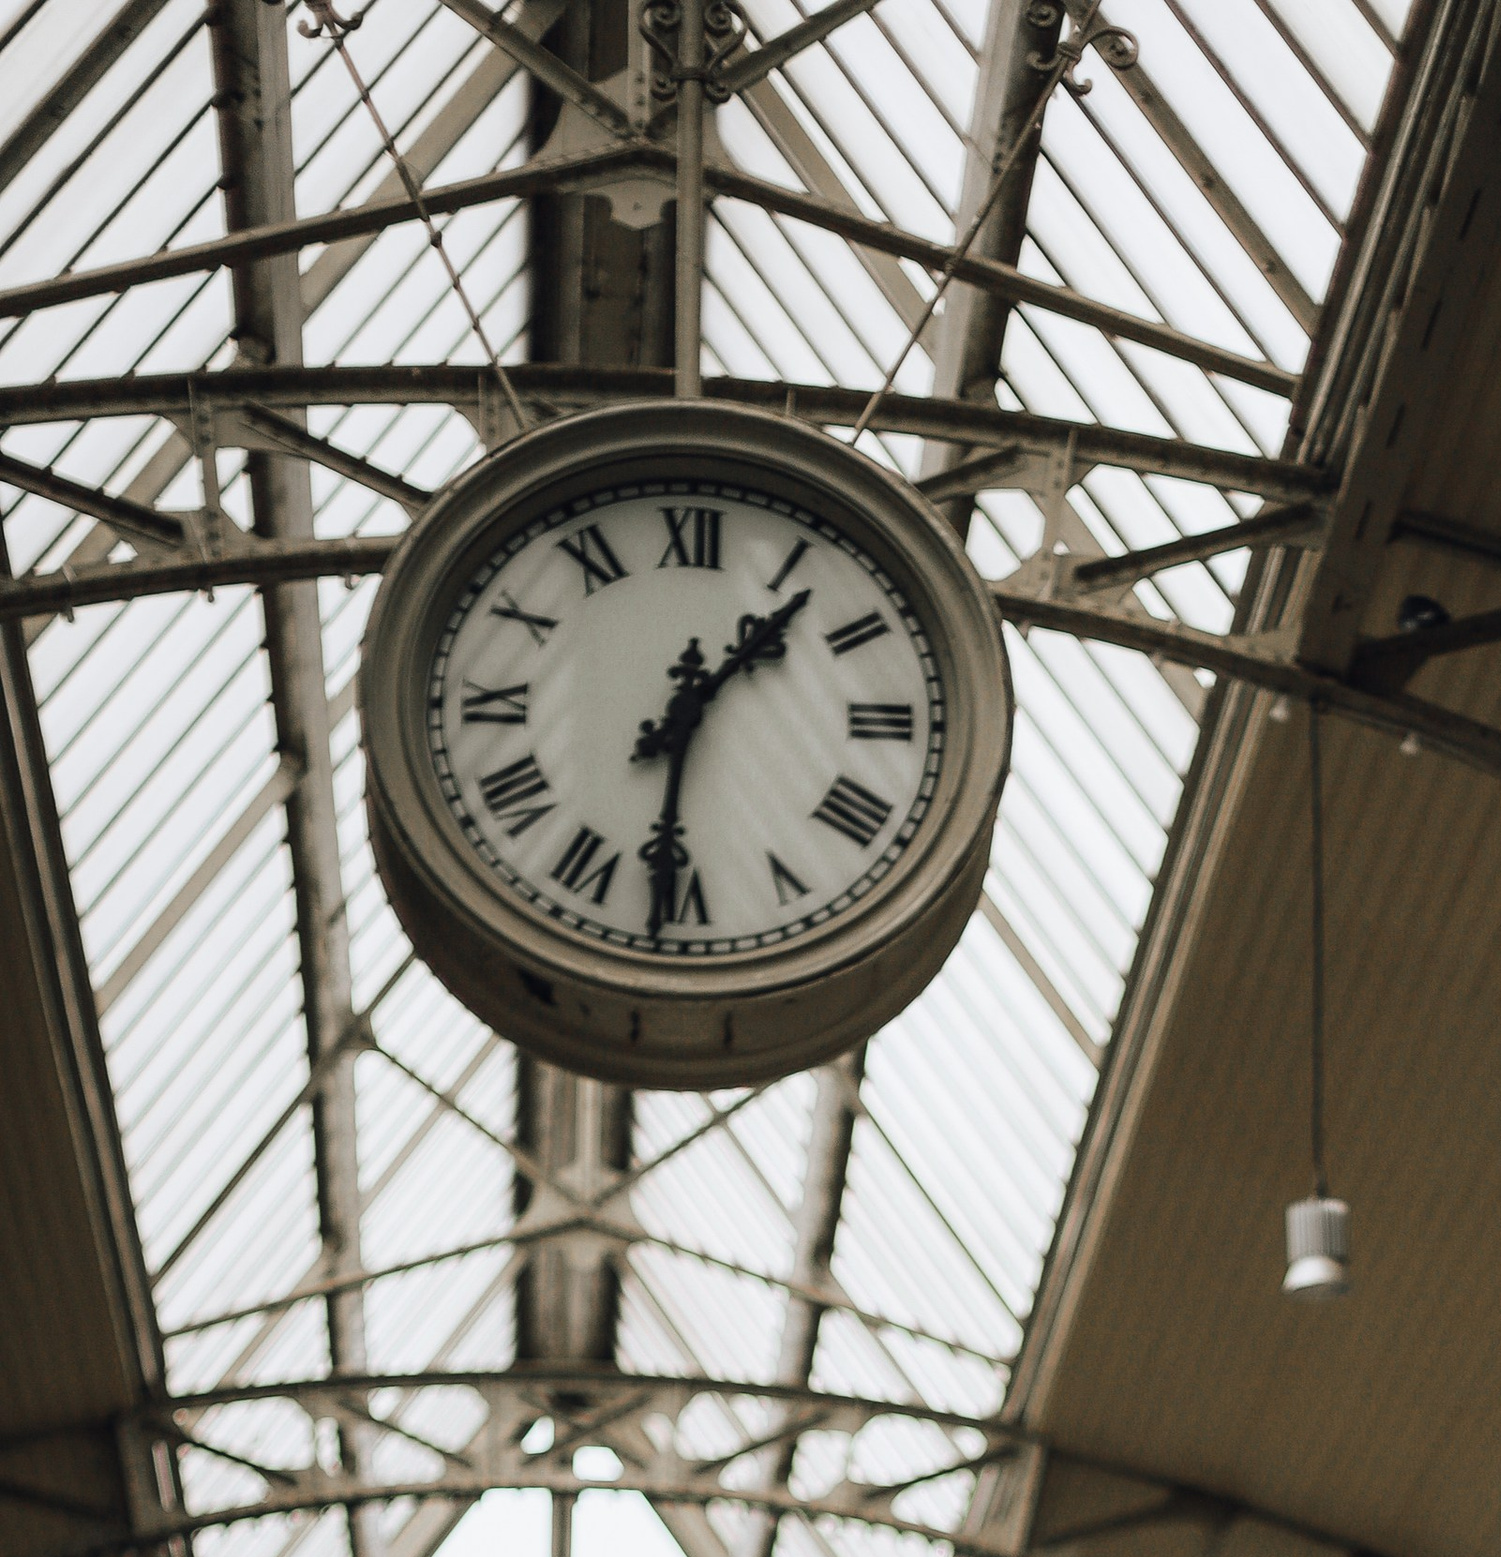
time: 1:31
